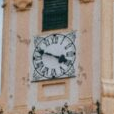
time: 3:48
